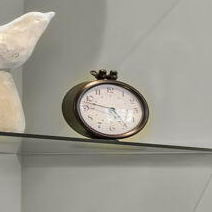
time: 4:47
